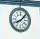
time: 8:07
